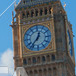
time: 12:36
